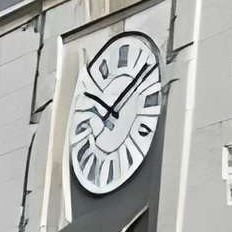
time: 1:50
